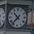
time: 10:36
